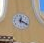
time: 12:19
